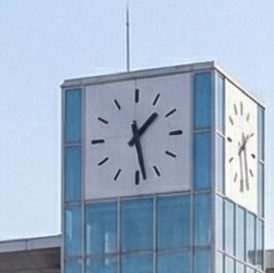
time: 1:28
